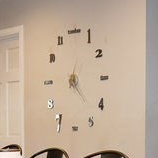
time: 4:22
